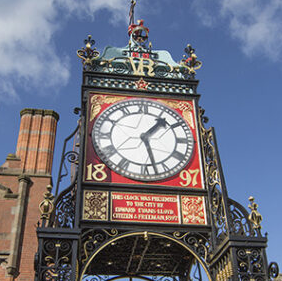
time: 1:27
